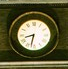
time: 8:32
